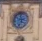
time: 6:58
